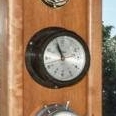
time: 10:56
